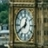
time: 12:40
